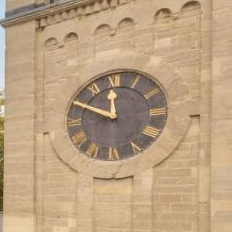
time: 11:49
